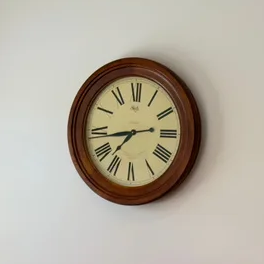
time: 8:37
